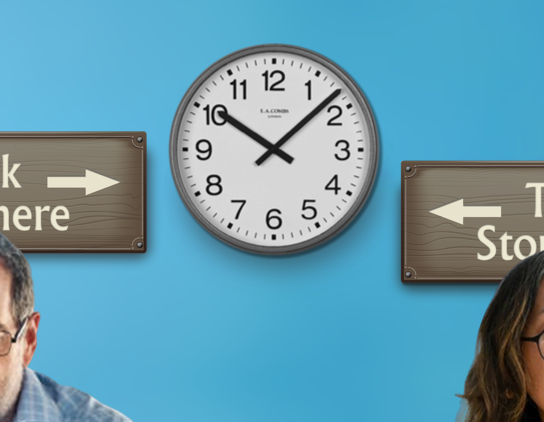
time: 10:07
